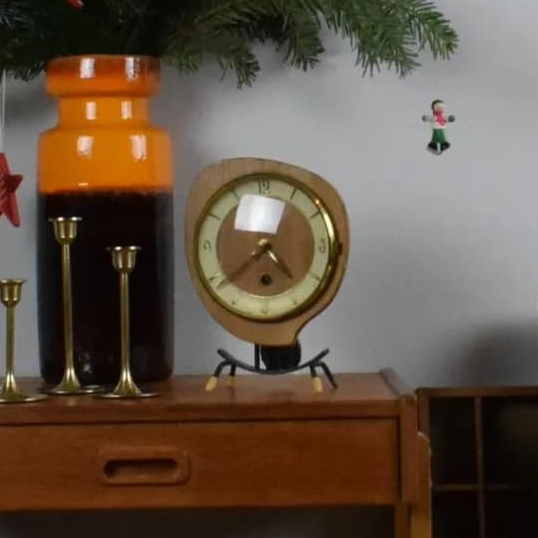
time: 4:38
